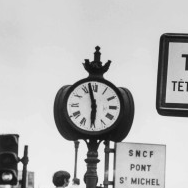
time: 5:57
